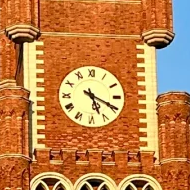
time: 5:19
